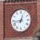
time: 12:43
